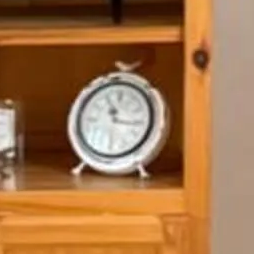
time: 11:16
